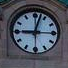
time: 9:02
